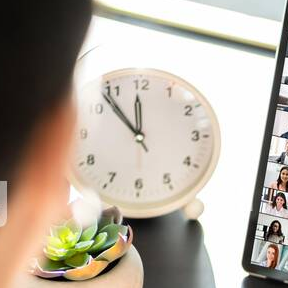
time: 11:52
